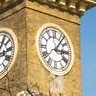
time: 3:06
